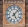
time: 5:07
